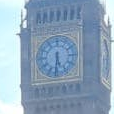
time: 5:30
